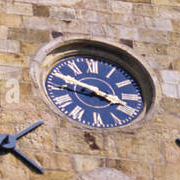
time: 3:48
